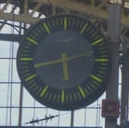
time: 5:42
